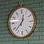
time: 12:37
